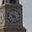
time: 3:24
